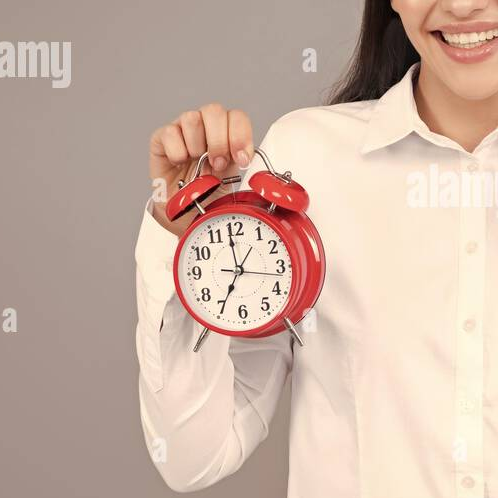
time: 6:58
